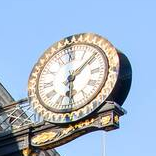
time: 6:08
